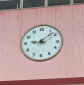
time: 9:08
